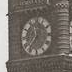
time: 12:36
